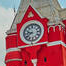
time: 8:38
